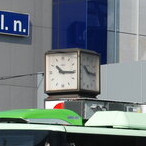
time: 10:15
